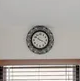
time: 3:50
